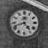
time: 4:41
